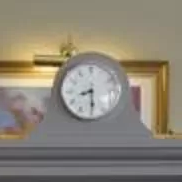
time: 8:29
